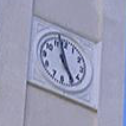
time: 4:58
